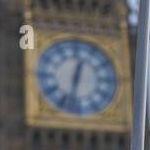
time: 12:32
